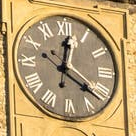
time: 12:21
